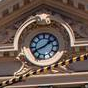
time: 1:41
